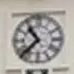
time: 10:37
